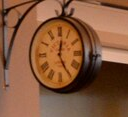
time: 12:24
